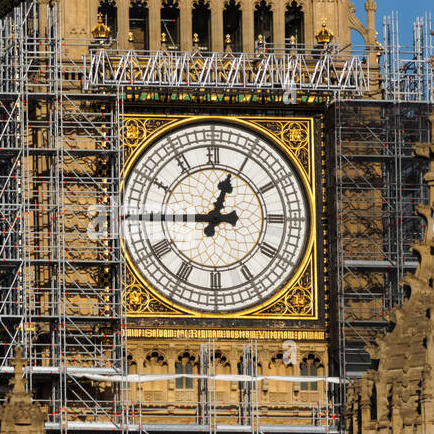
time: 12:45
